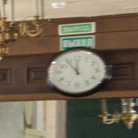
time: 11:54
